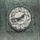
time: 1:43
